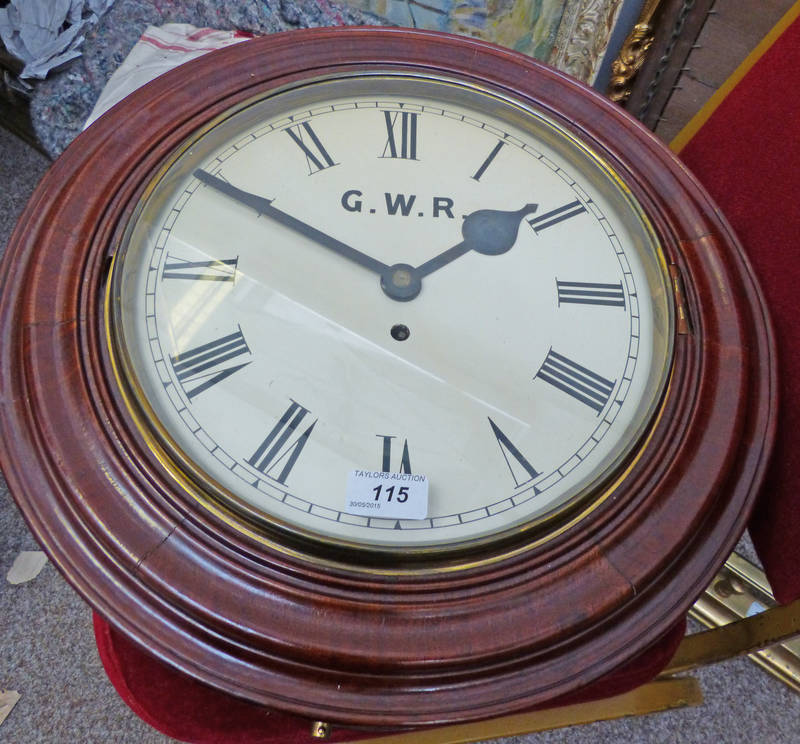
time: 1:49
